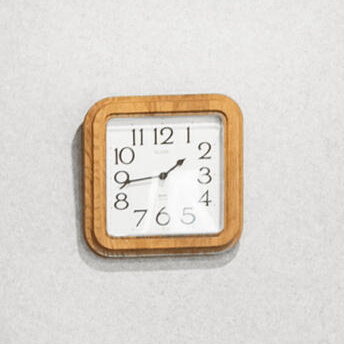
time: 1:44
